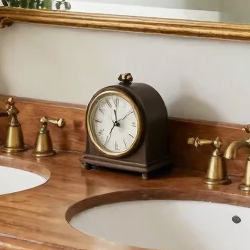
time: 11:35
